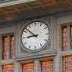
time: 8:52
